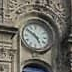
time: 4:50
